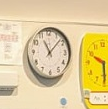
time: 11:07
